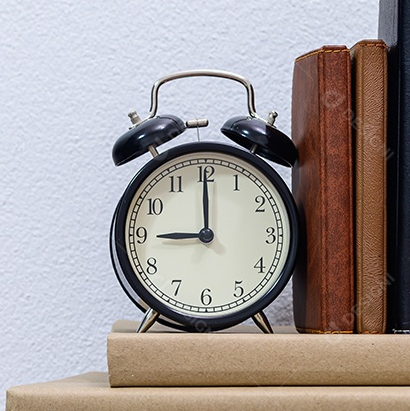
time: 9:00
